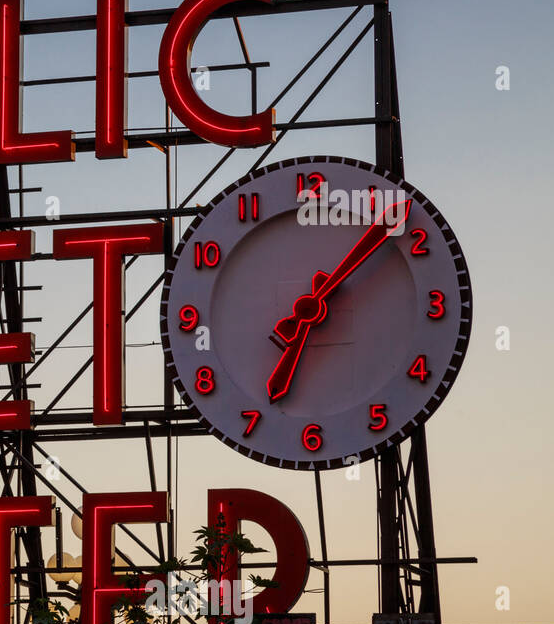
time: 7:07
